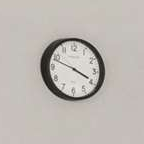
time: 3:48
